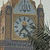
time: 7:23
